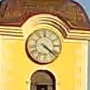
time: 4:21
